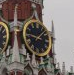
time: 9:07
